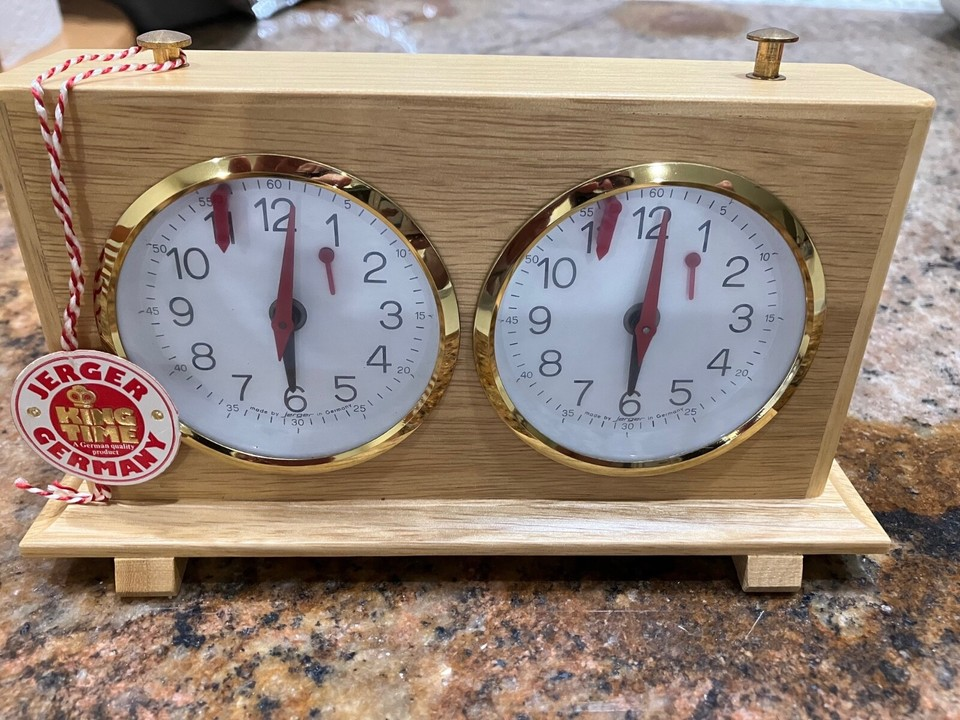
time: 6:00
